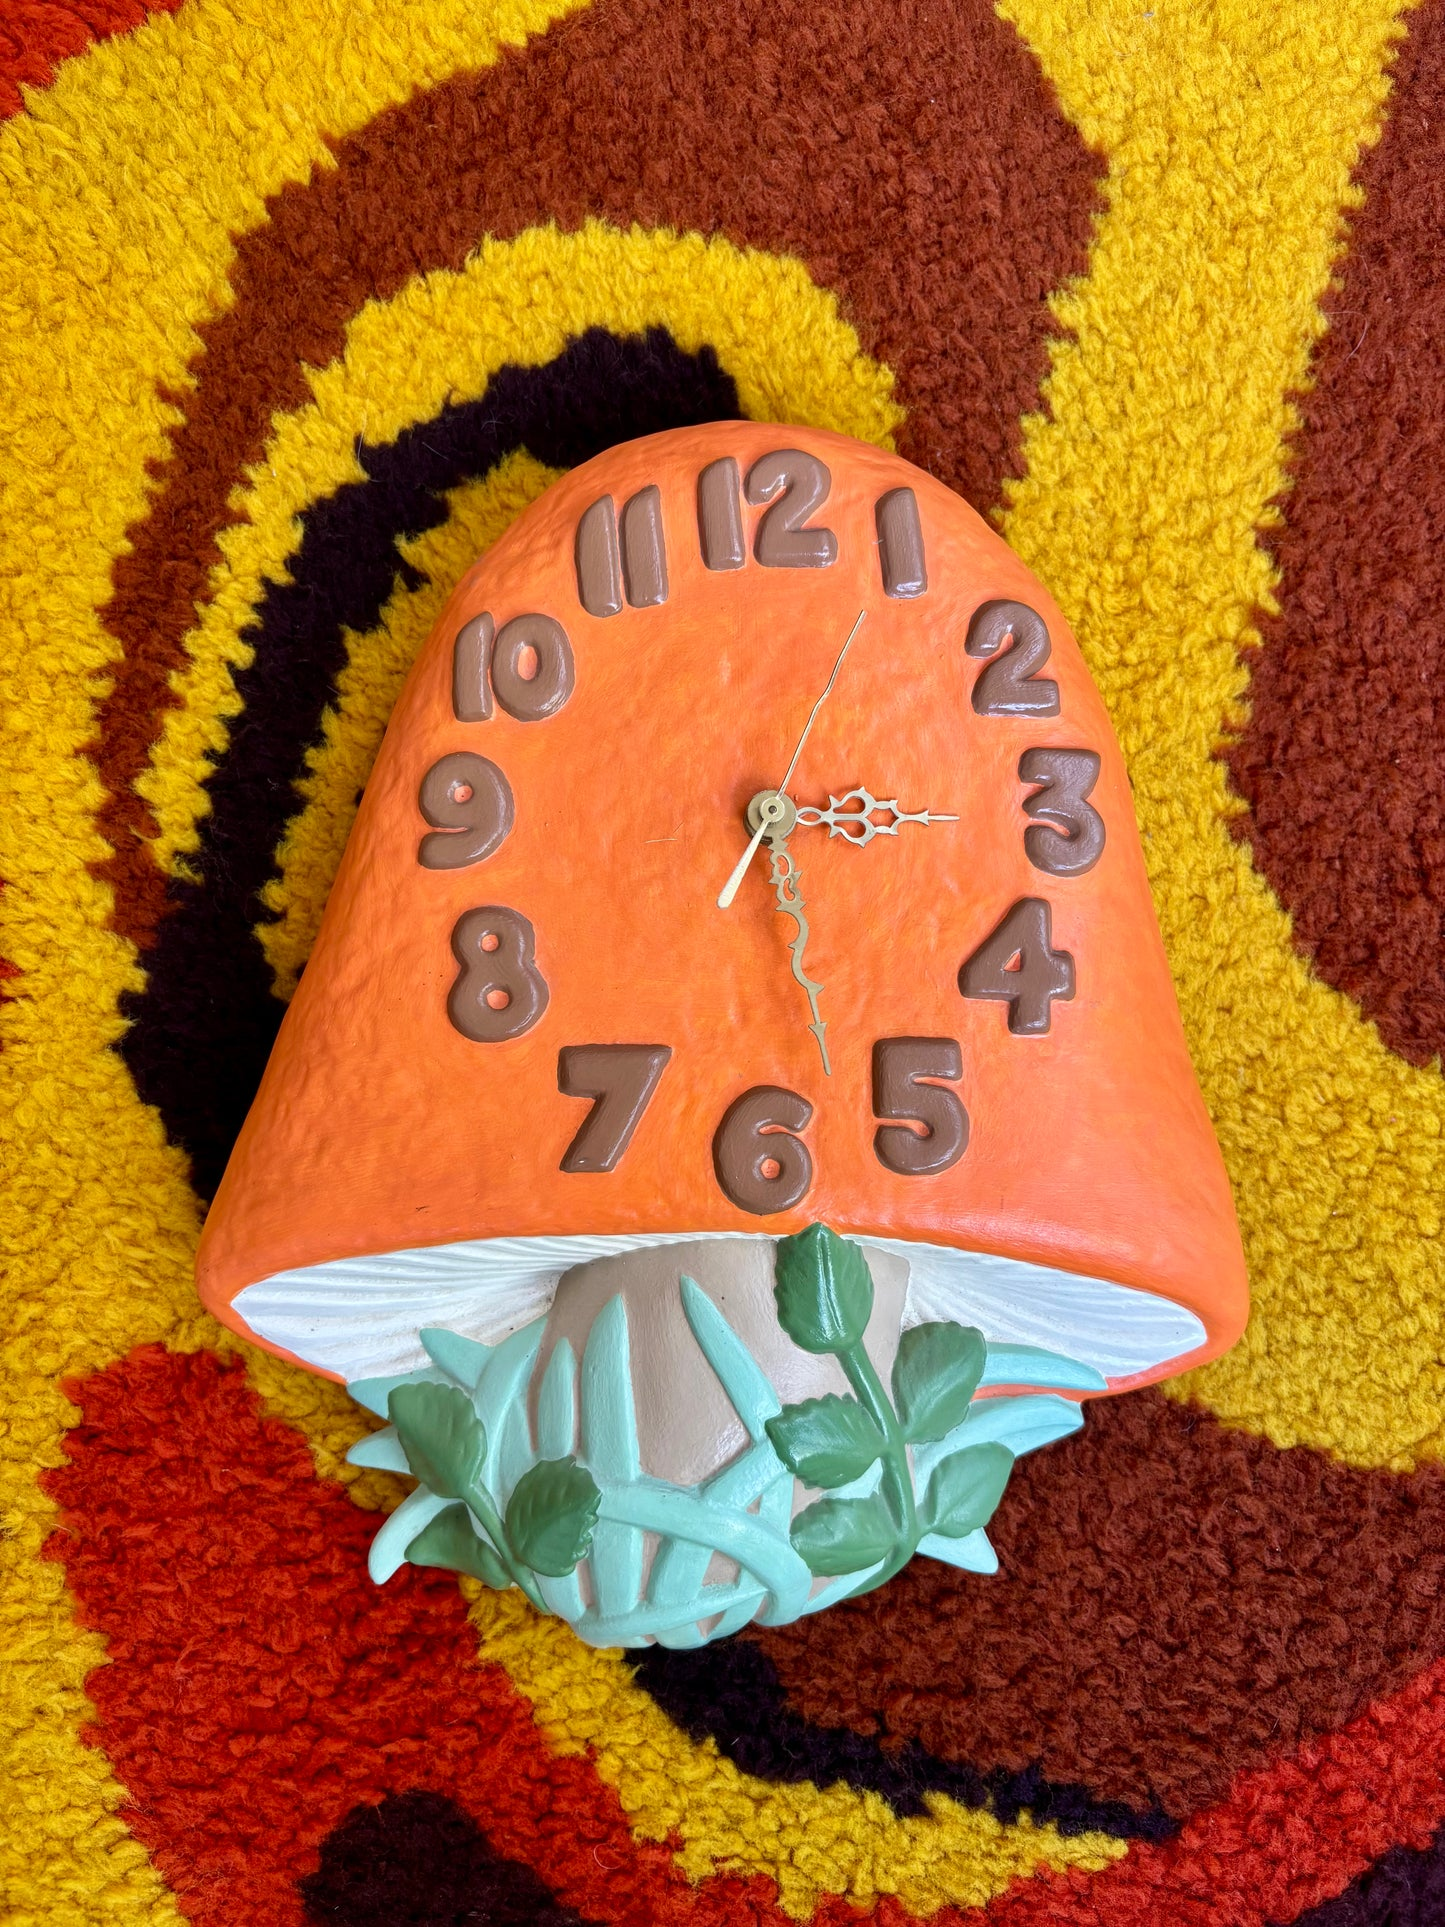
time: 3:27
